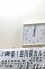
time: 12:01
